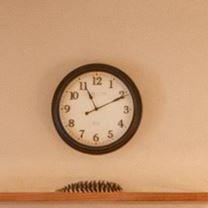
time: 11:10
